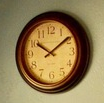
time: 10:08
